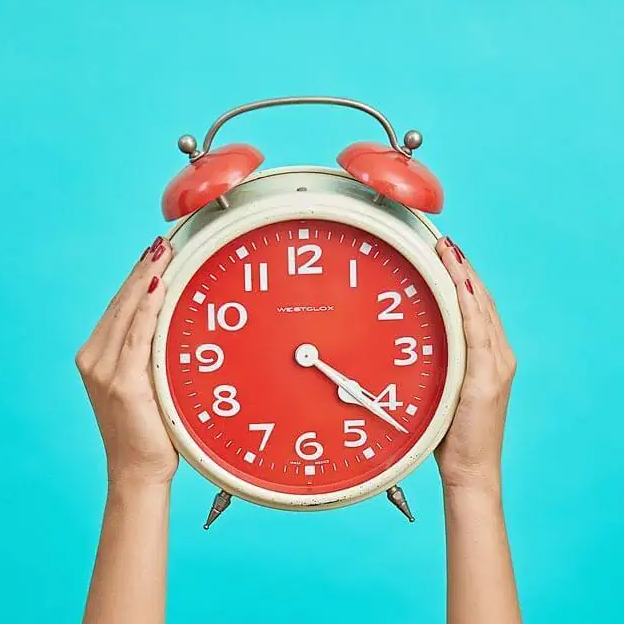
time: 4:21
